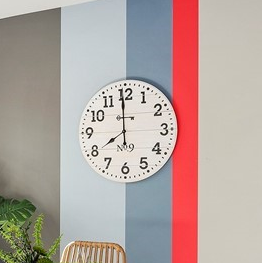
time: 7:59
